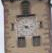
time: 4:13
